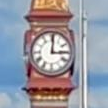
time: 3:01
